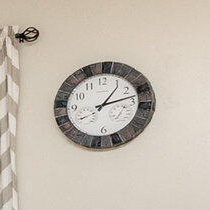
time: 1:12
